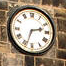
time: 2:33
